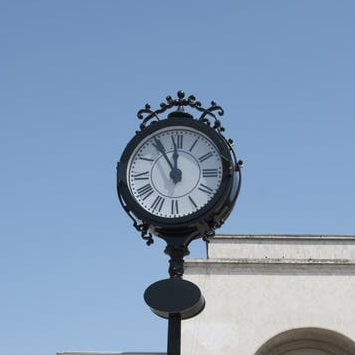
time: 11:54
